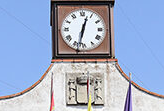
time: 12:32
